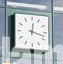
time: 12:17
